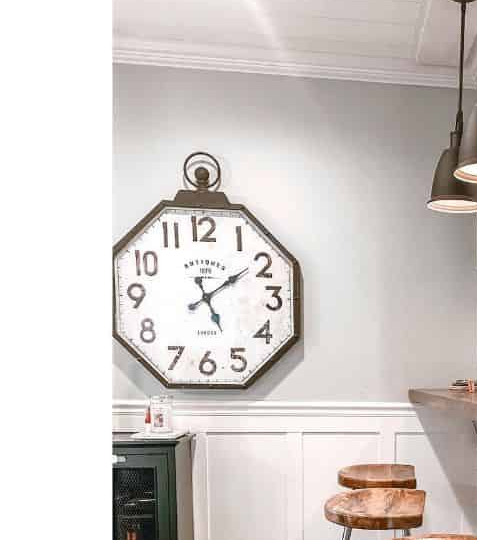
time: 5:09
